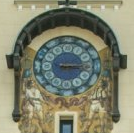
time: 3:13
